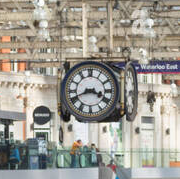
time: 3:41
